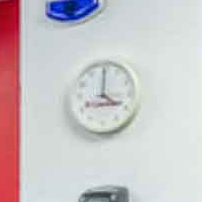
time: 4:00
